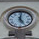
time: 5:01
